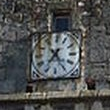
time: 7:24
